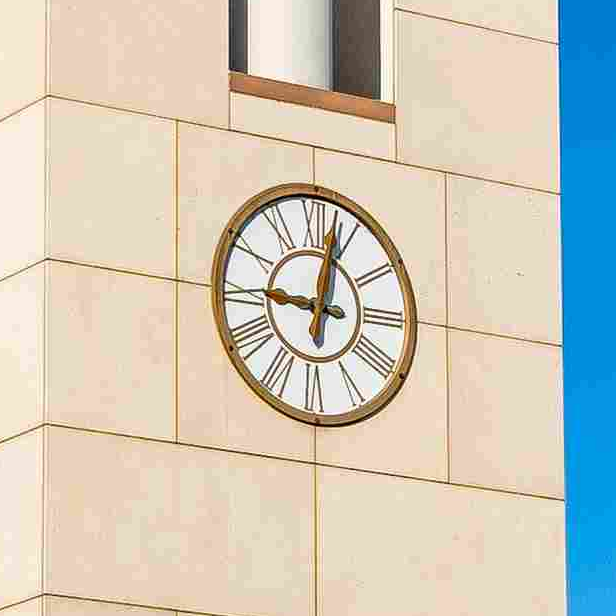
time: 9:01
